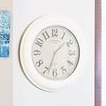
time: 1:33
